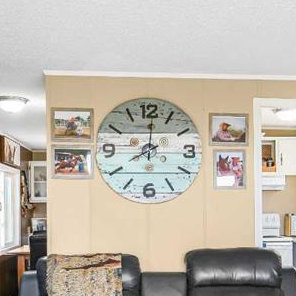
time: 8:00
